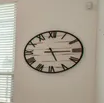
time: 5:15
